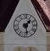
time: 1:28
